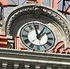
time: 12:58
